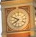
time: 7:48
